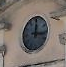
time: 12:16
